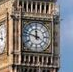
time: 11:47
